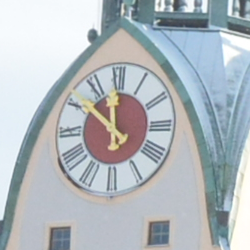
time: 11:51
